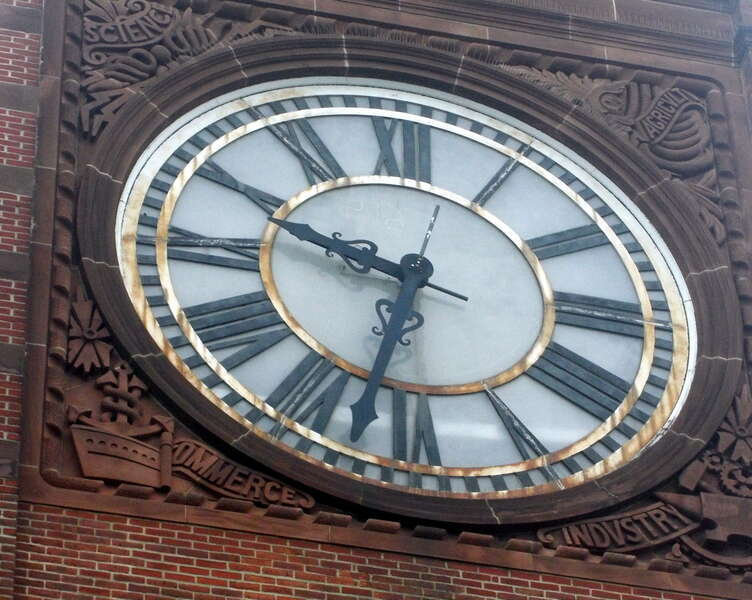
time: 9:32
